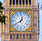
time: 12:39
